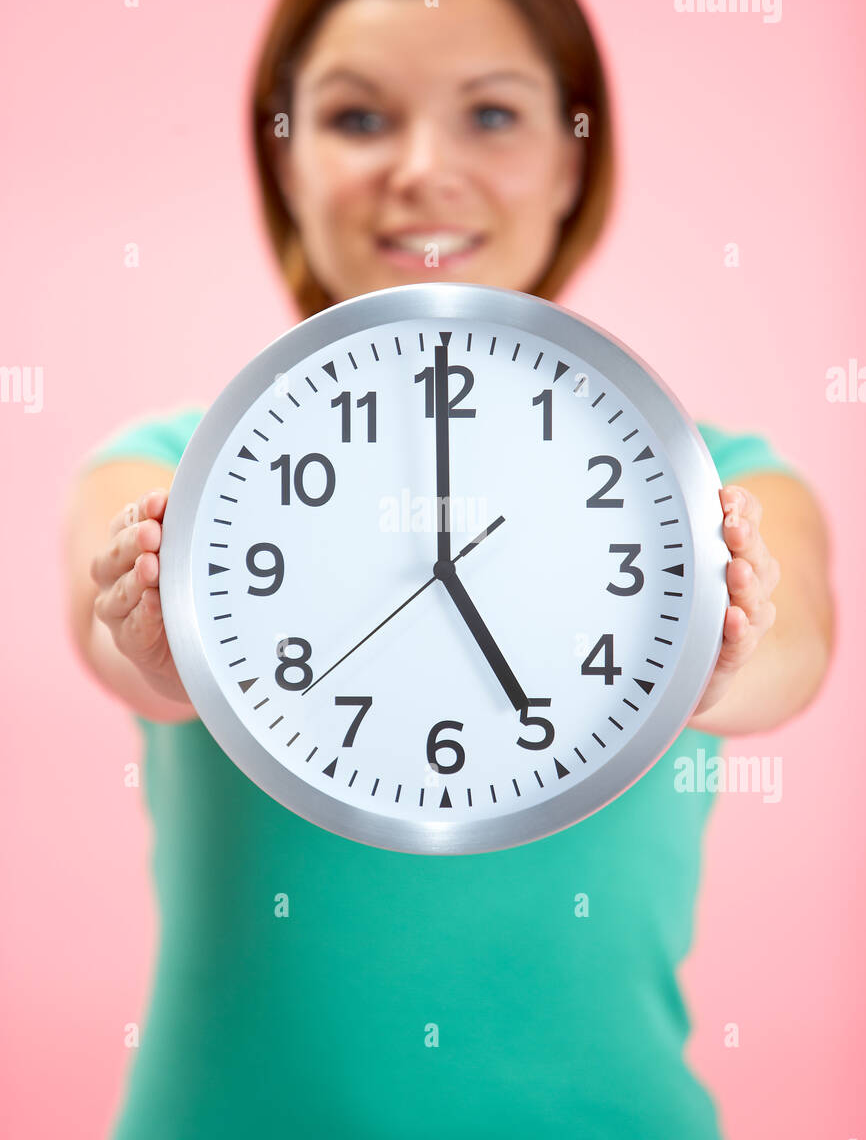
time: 4:59
